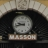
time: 9:42
